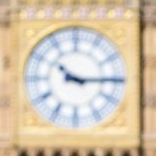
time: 10:14
